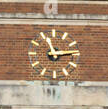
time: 11:13
